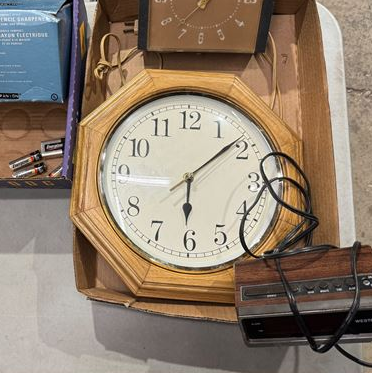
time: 6:08
